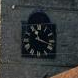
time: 11:18
